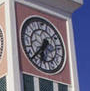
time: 6:38
